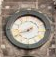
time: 1:41
